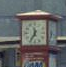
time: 11:35
